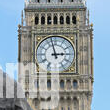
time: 2:57
